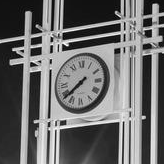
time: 7:38
